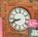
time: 8:41
